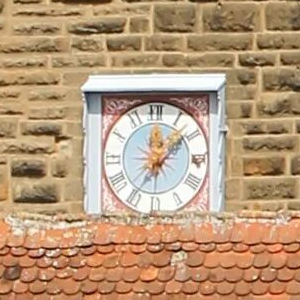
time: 12:08
